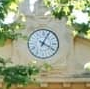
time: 4:04
